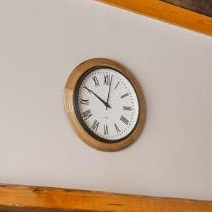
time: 10:01
